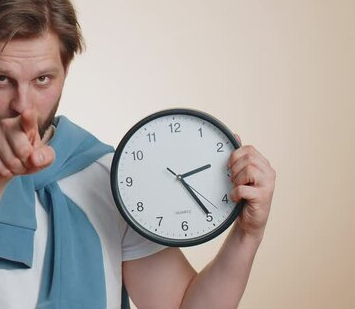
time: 2:24
